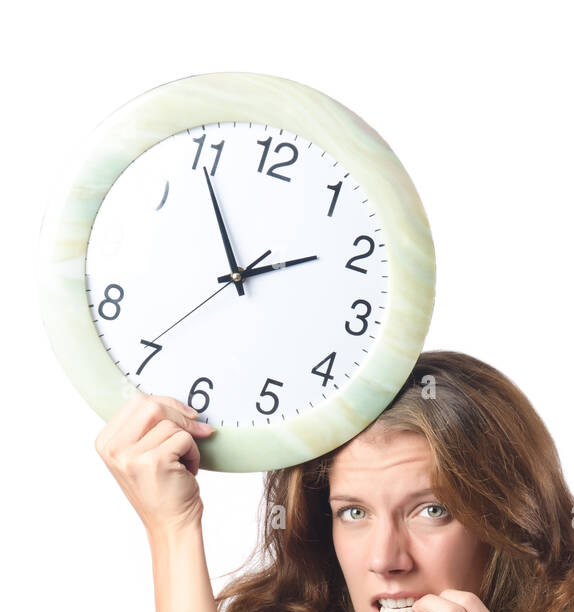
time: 1:54
